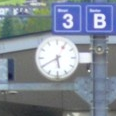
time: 5:40
